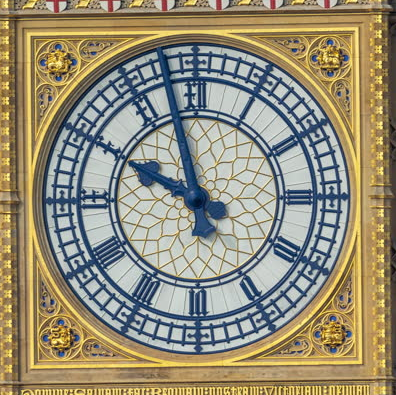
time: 9:57
